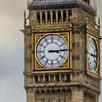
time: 3:14
